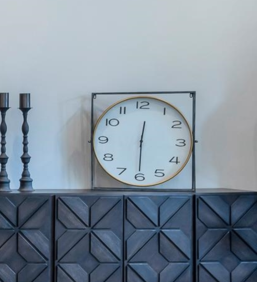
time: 12:30
